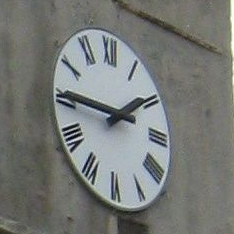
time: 1:45
